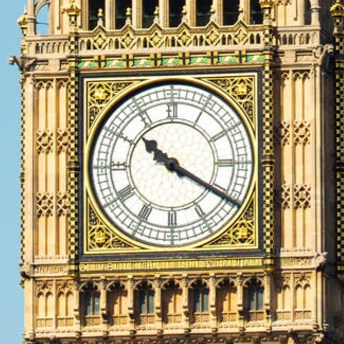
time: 10:20
